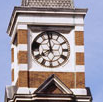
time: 7:58
